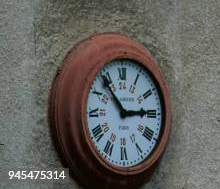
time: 2:53
